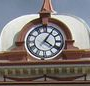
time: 4:05
